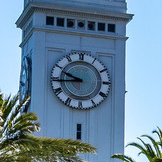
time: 9:44
